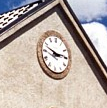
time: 2:48
